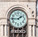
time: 1:45
